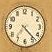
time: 7:23
